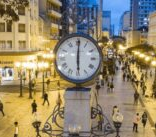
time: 6:00
